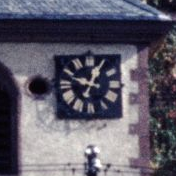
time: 12:48
